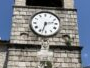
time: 2:32
